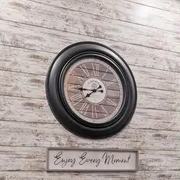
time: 7:44
